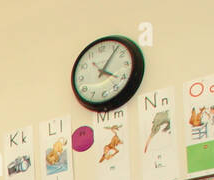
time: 4:06
